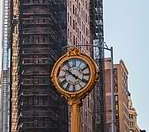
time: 10:20
